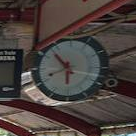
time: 10:41
